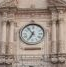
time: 6:53
